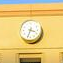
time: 3:33
